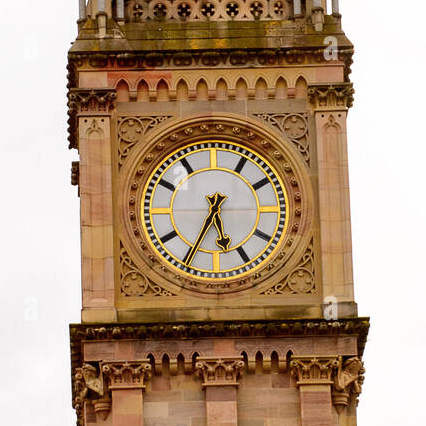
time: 5:34
